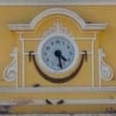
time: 4:28
